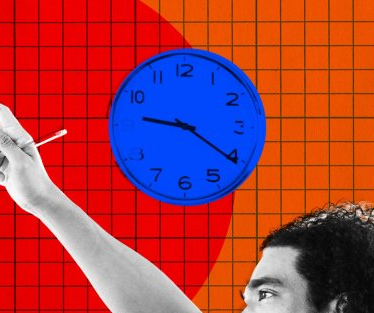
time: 9:20
